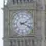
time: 2:18
